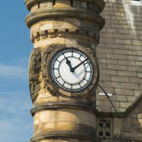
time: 11:08
